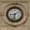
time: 8:32
